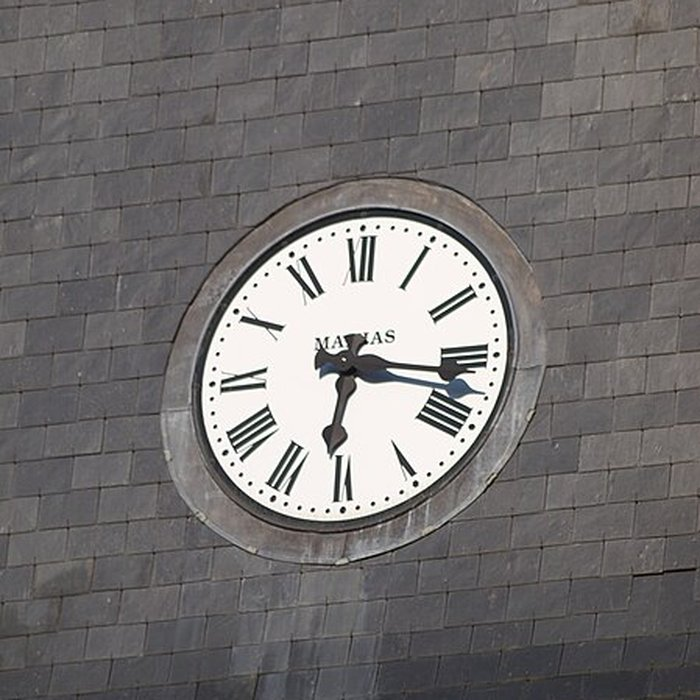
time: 6:17
